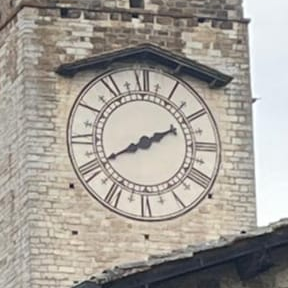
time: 8:10
